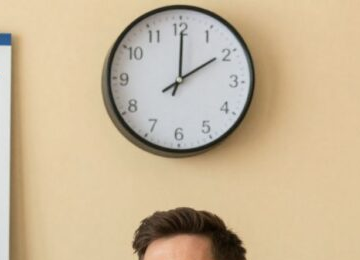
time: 2:00
